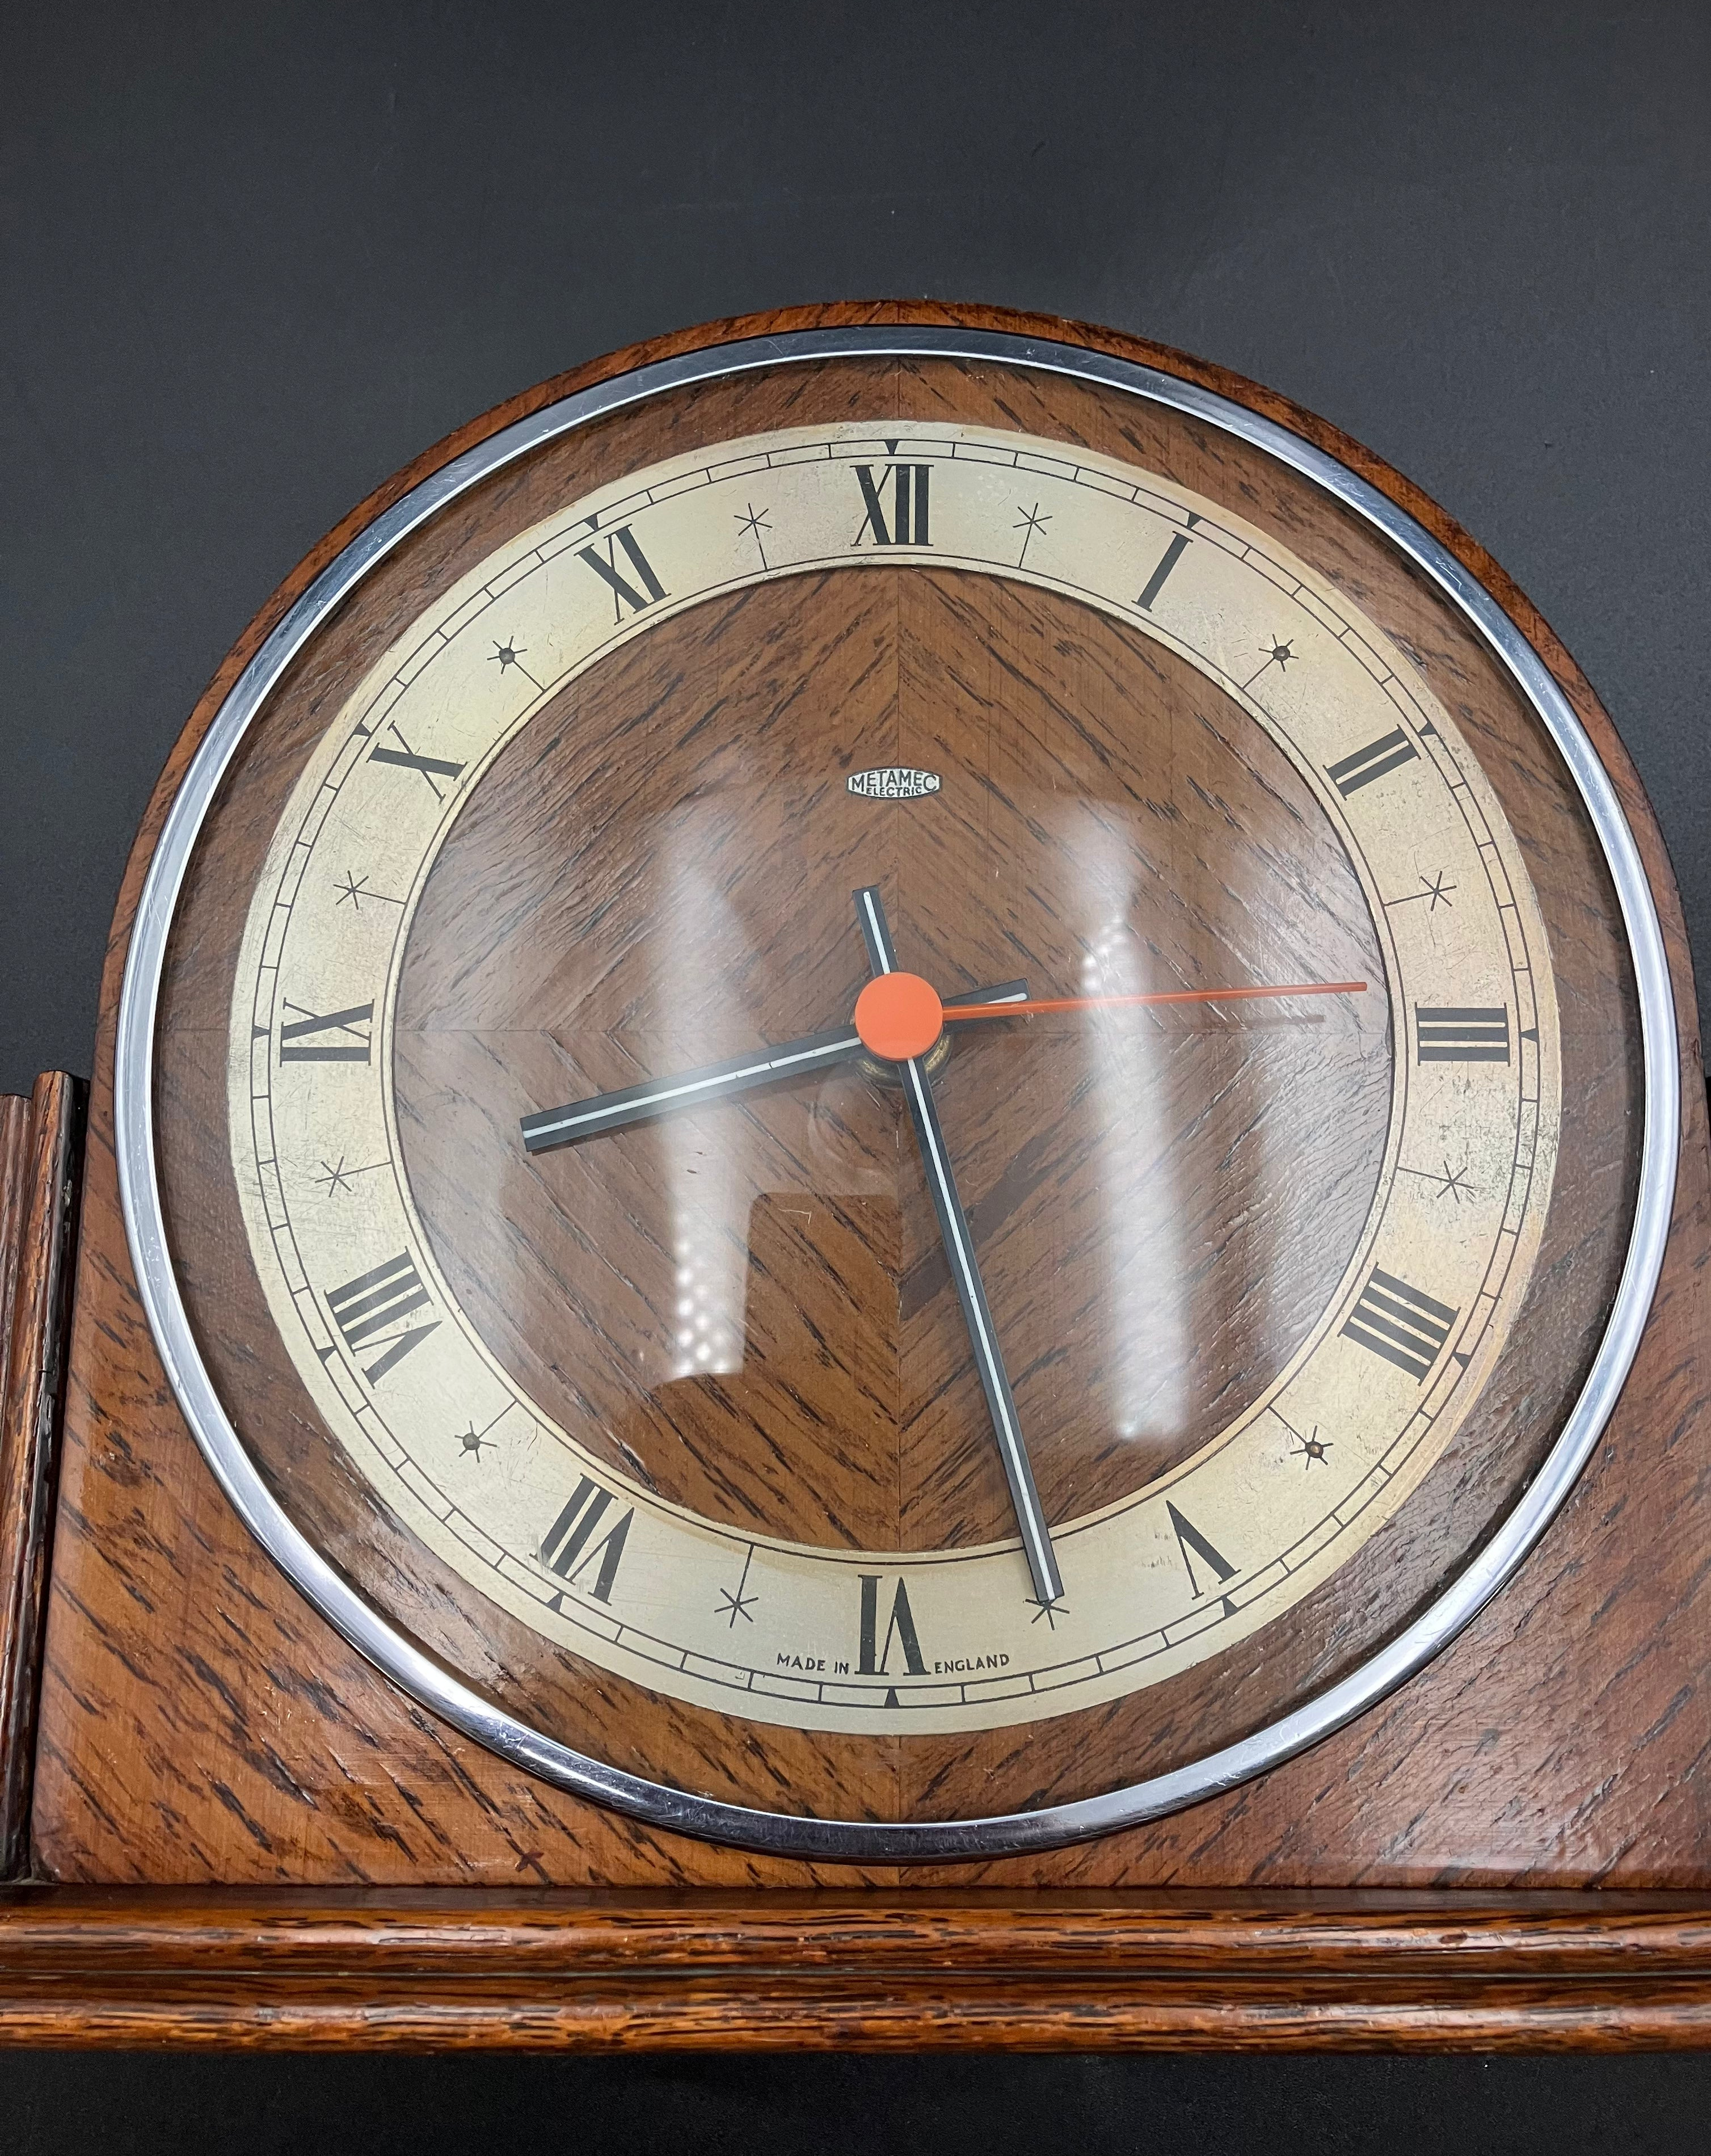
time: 8:27
